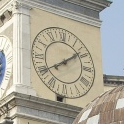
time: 1:39
